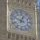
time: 12:48
